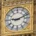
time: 9:11
